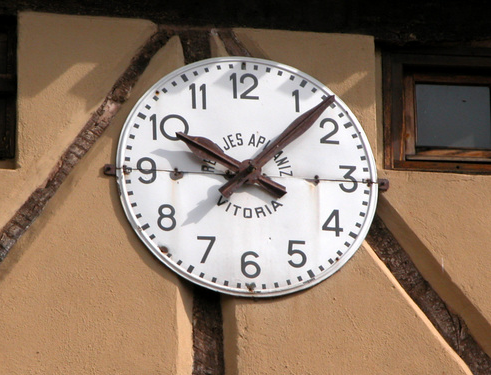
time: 10:07
